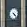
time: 4:22
